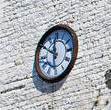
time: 11:50
